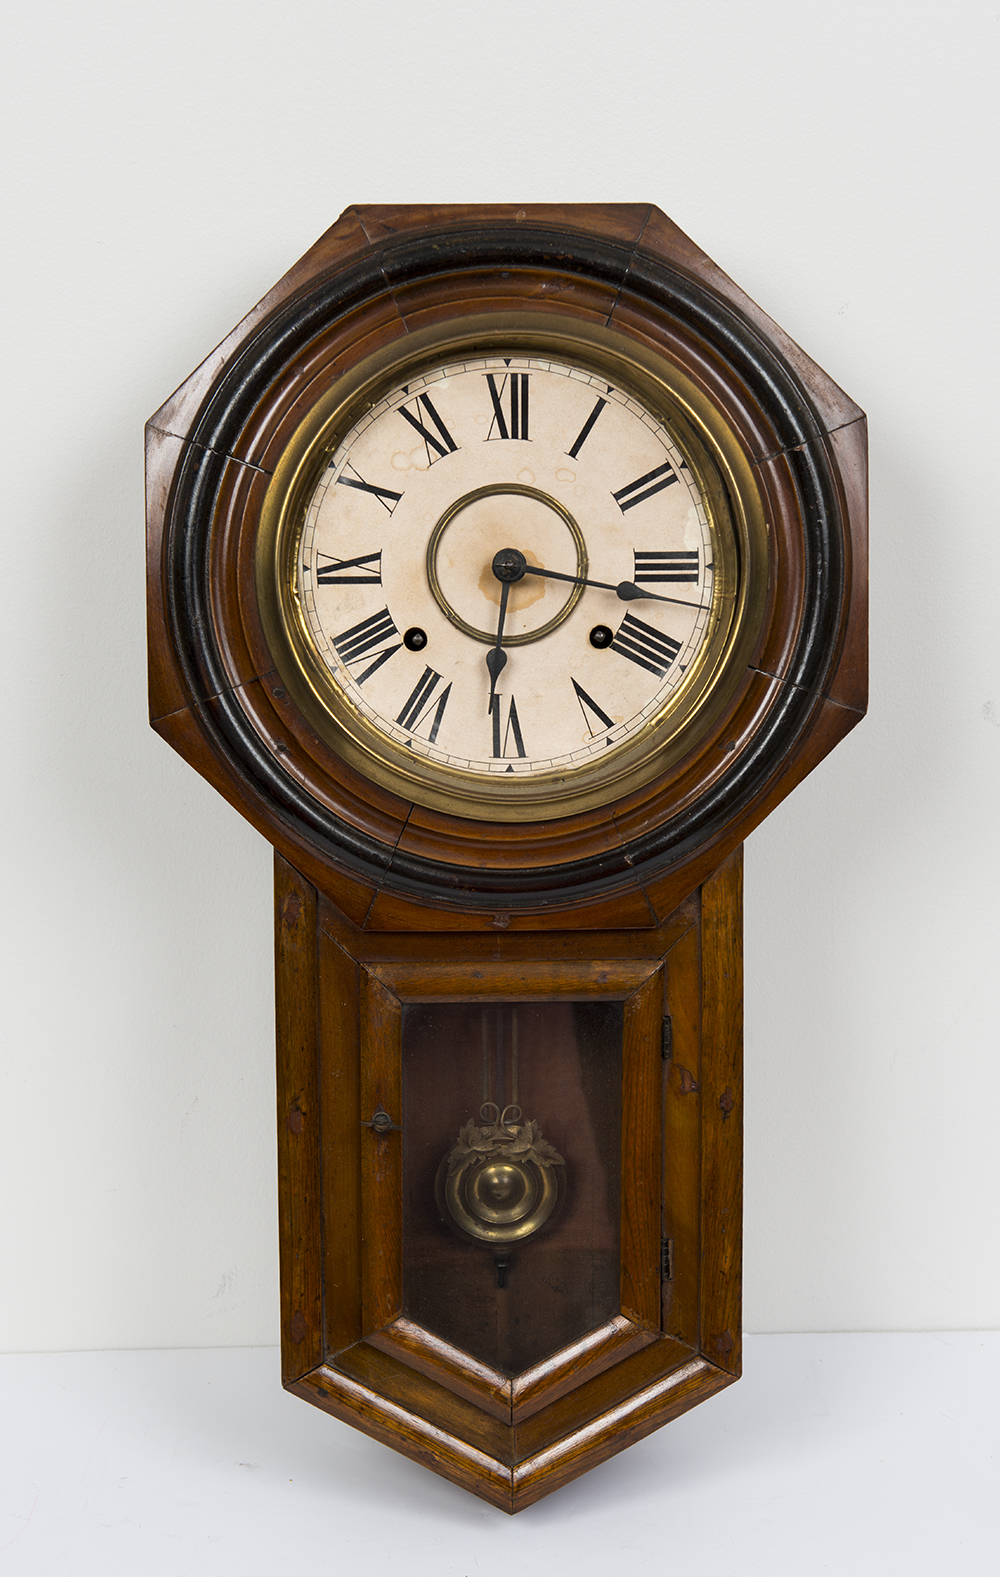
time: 3:30
